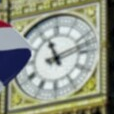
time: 11:12
